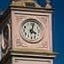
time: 4:02
